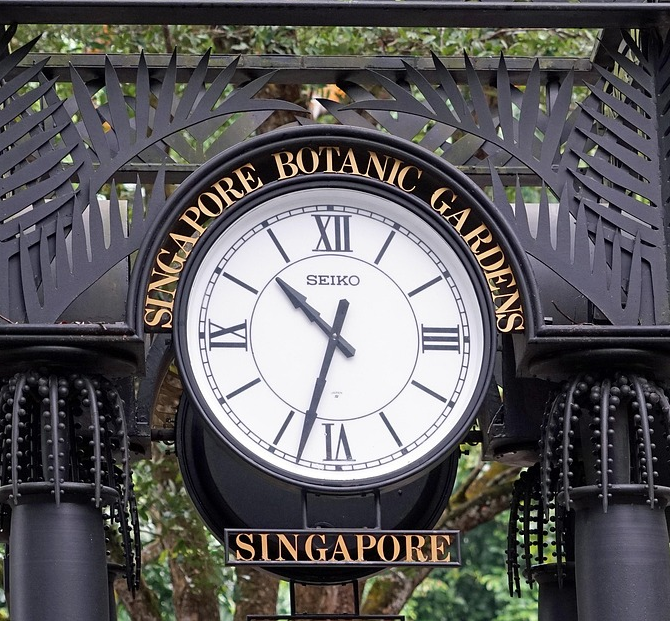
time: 10:32
